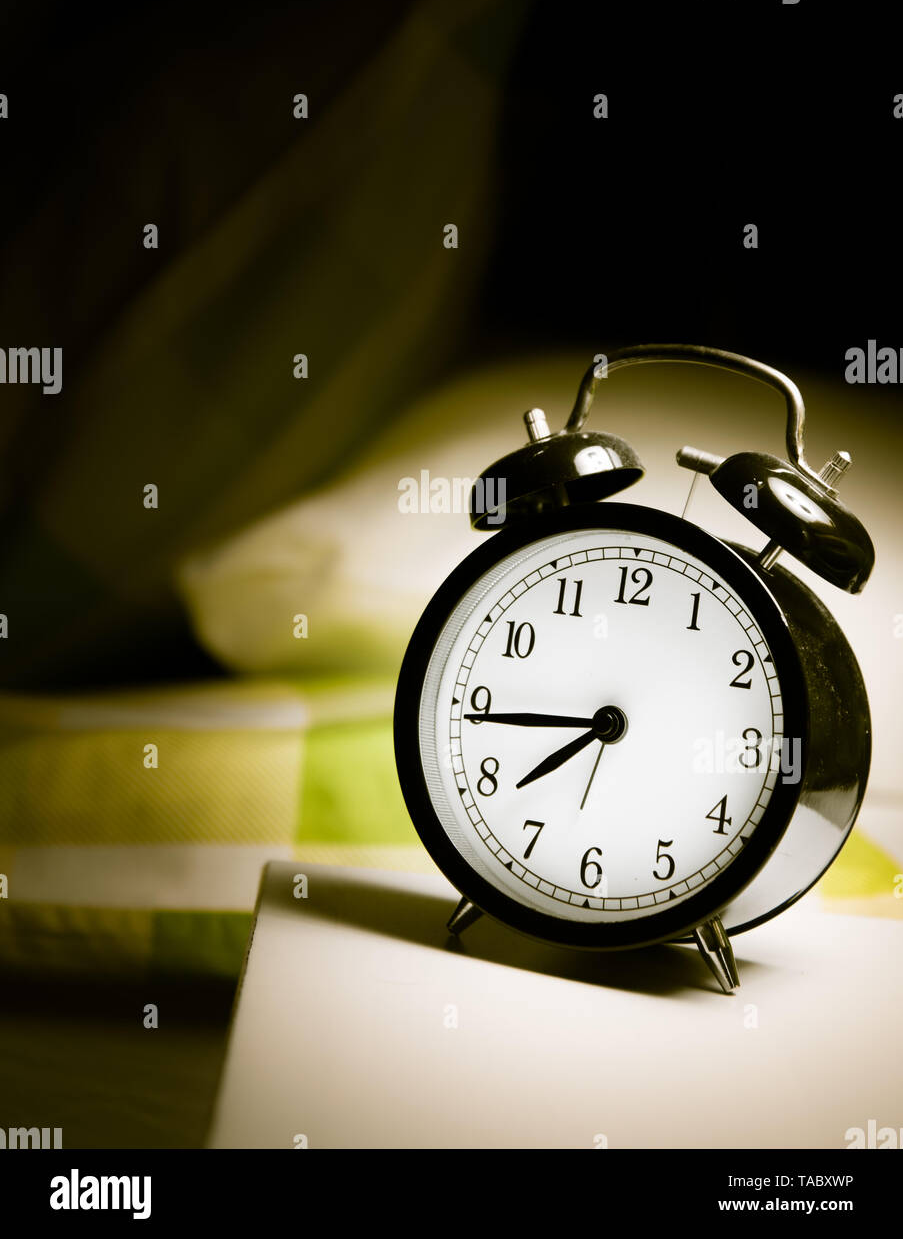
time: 7:44
